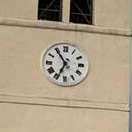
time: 6:54
